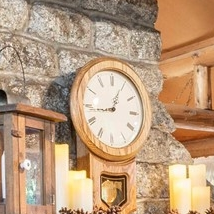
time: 12:43
